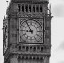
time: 8:54
